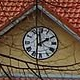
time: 1:59
